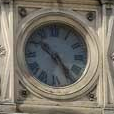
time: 10:24
